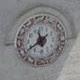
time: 11:38
